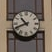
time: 10:41
